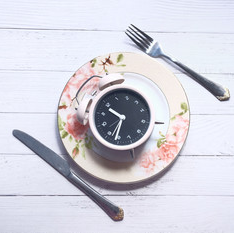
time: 9:31
